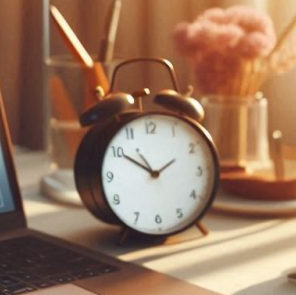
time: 1:50
